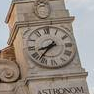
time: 8:37
